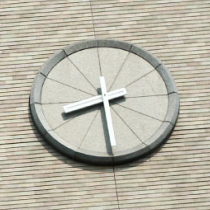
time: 8:29
